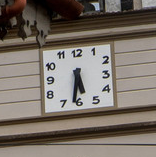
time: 5:31
